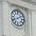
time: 1:40
